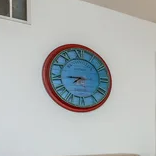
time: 7:45
